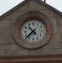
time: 10:37
